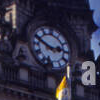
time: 2:48
